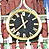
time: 11:37
